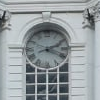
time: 2:18
